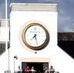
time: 7:27
